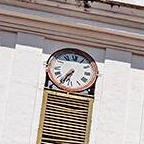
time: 6:34
